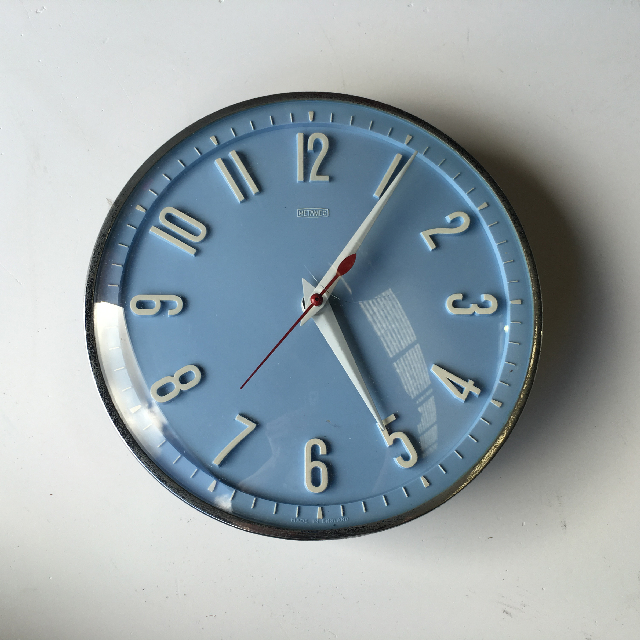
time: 5:05
